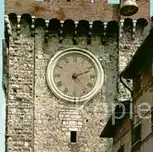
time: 2:11
